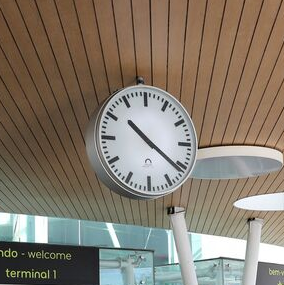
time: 10:21
